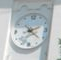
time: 2:21
